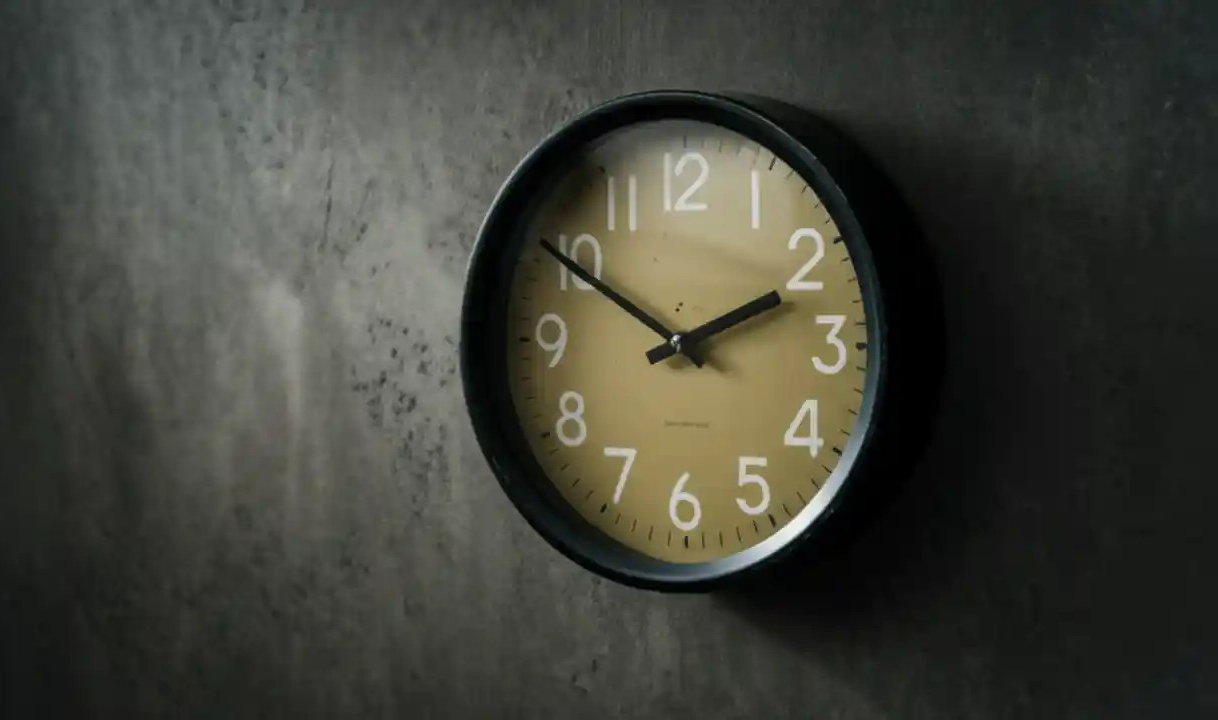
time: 1:50
